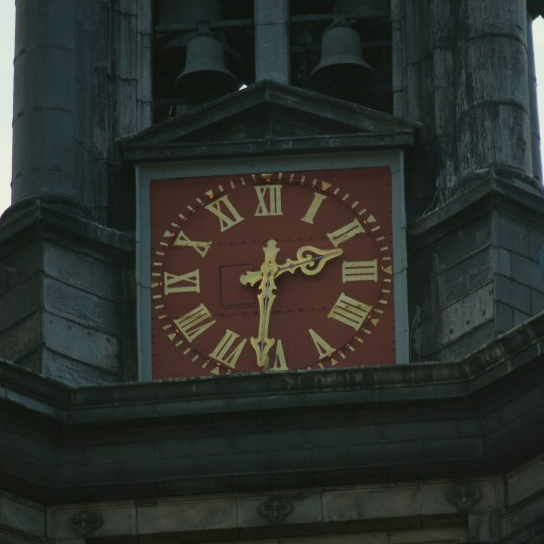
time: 2:31
